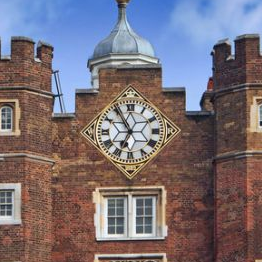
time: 6:54
